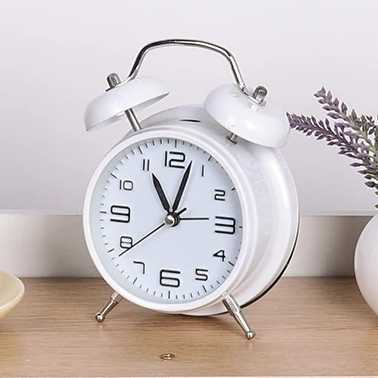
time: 11:02
